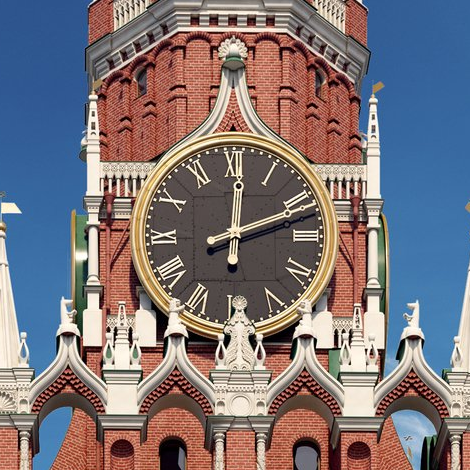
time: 12:11
